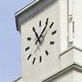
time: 11:07
